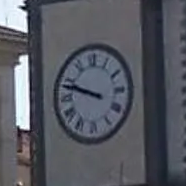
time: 9:48
